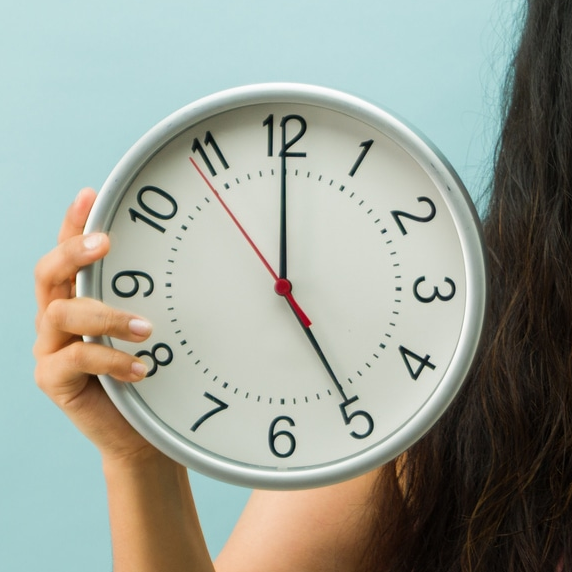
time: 4:59
